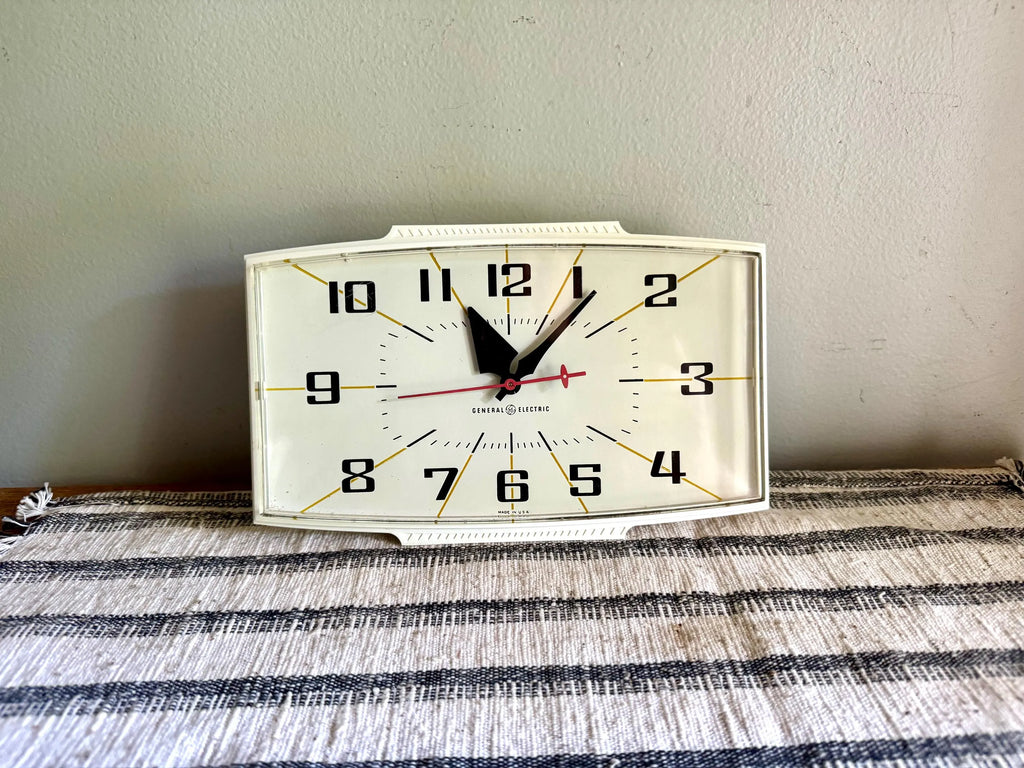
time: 11:06
